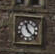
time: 11:22
